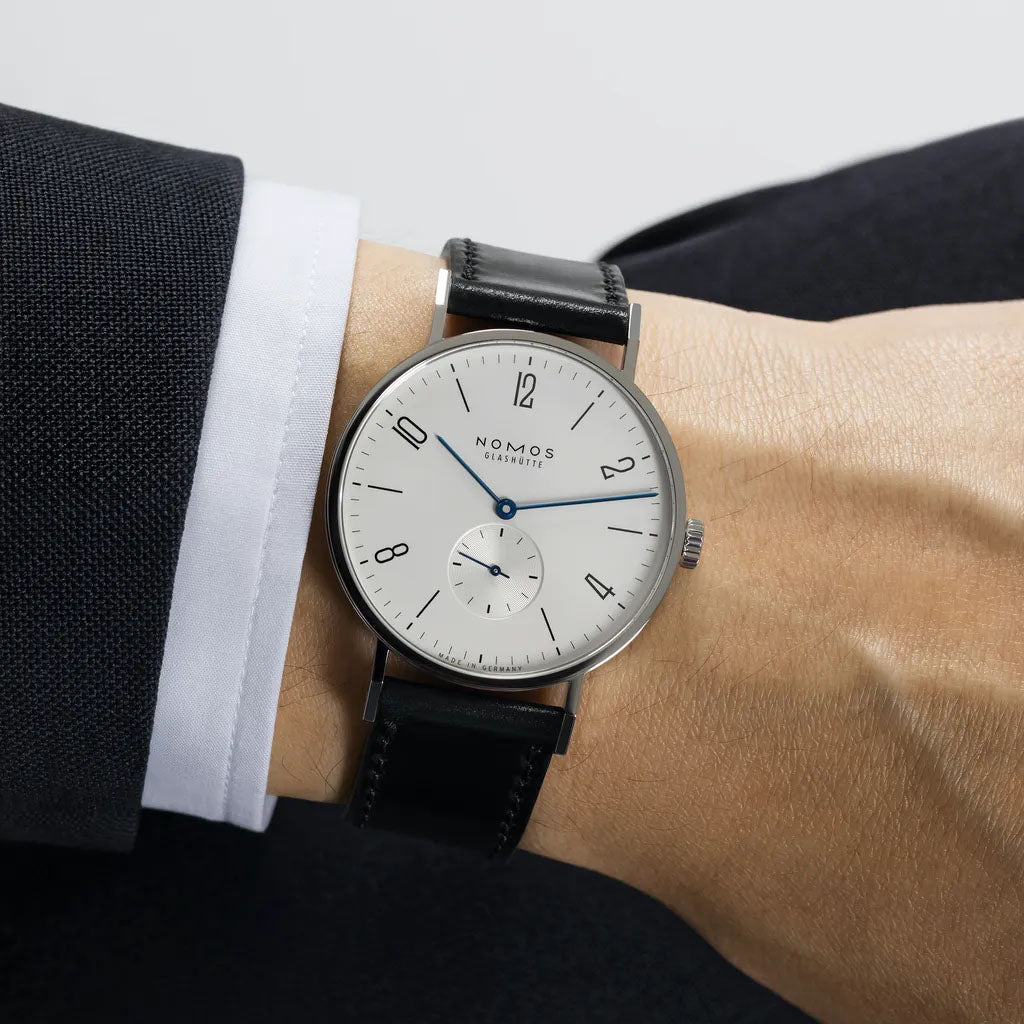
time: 10:12
